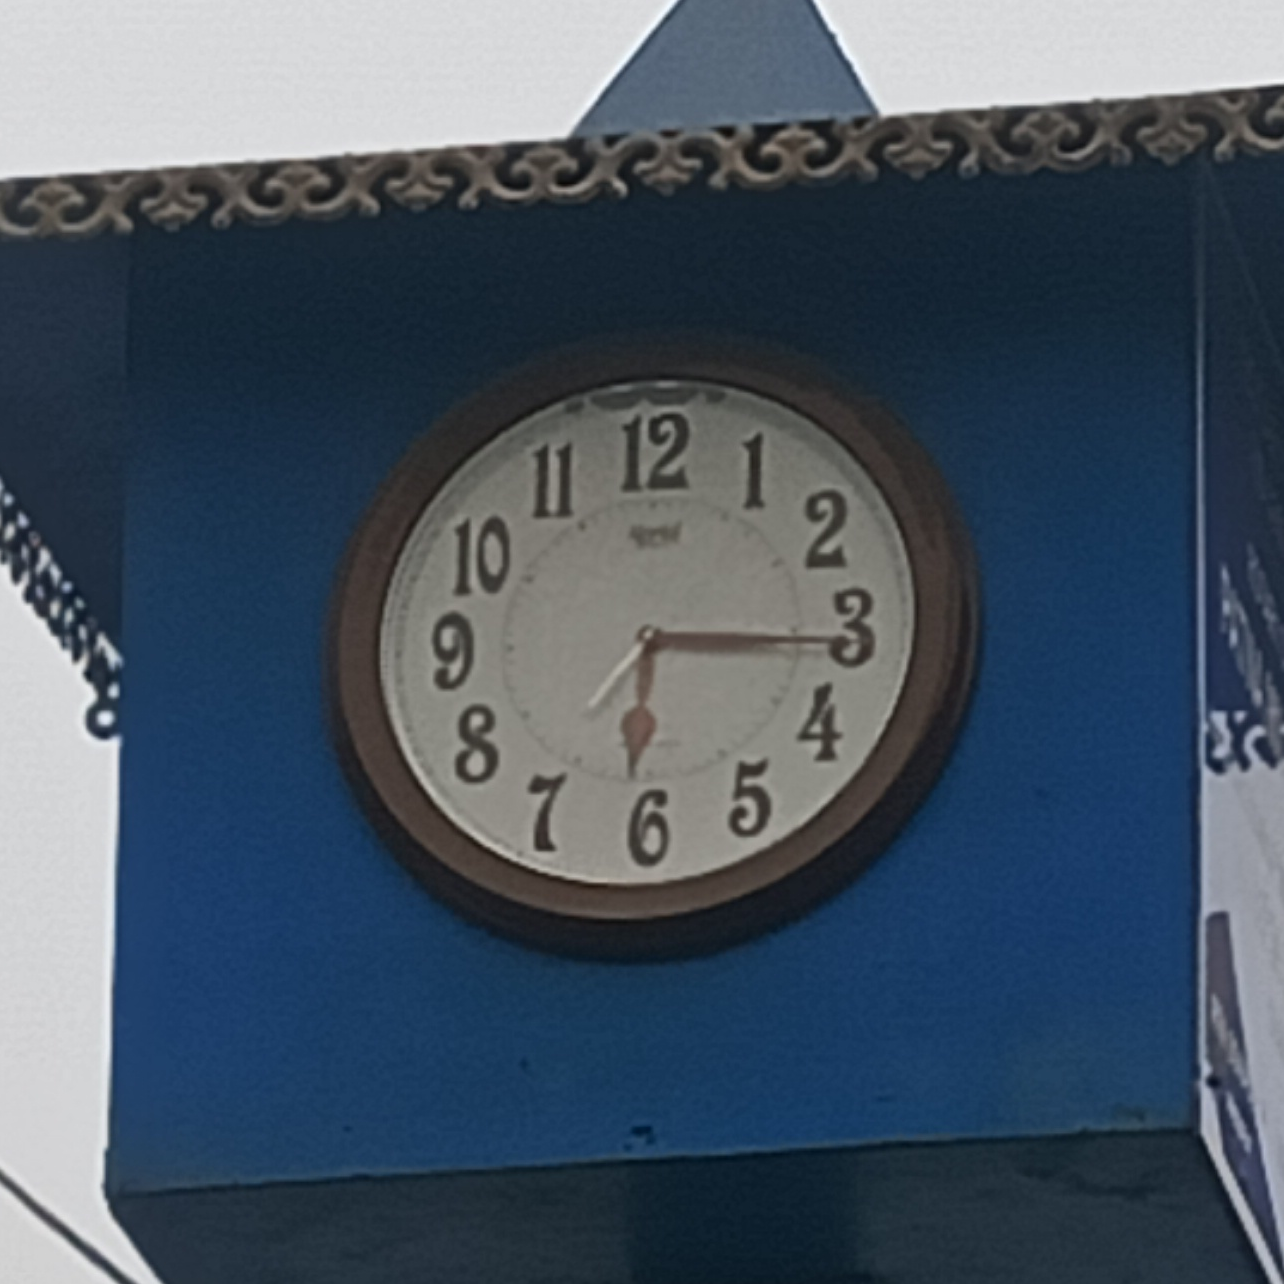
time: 6:15
